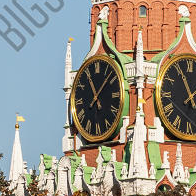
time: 11:08
